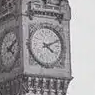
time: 4:10
